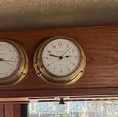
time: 2:47
